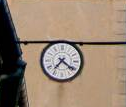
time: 7:21
